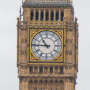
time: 10:45
